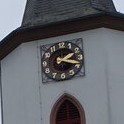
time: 2:18
